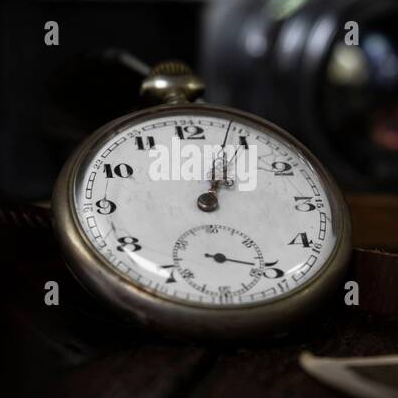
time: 1:03
